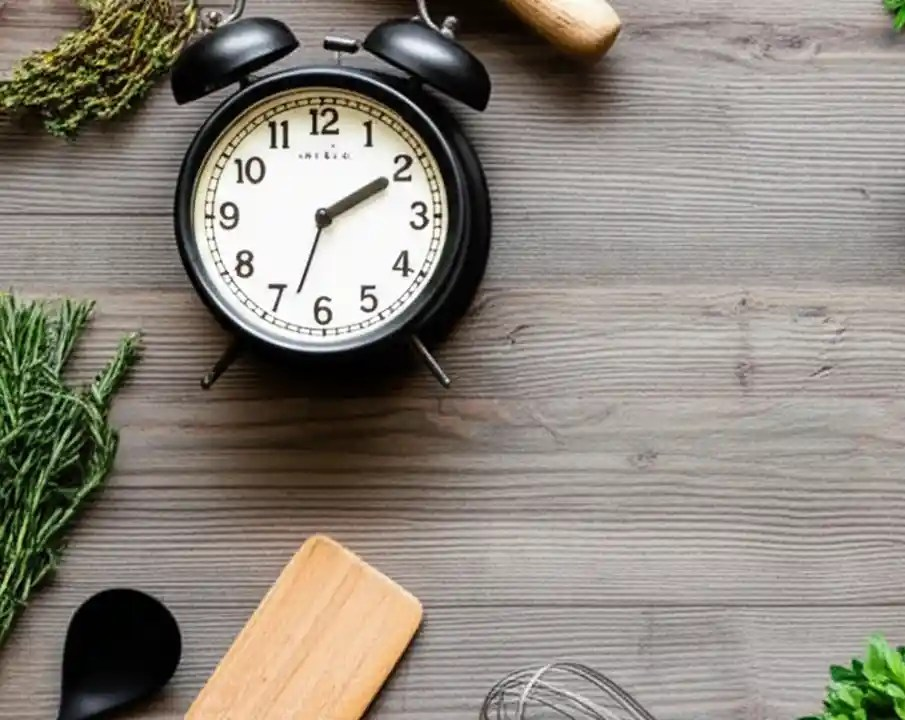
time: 2:10
